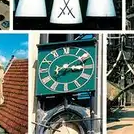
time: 3:09
